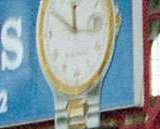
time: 11:50
